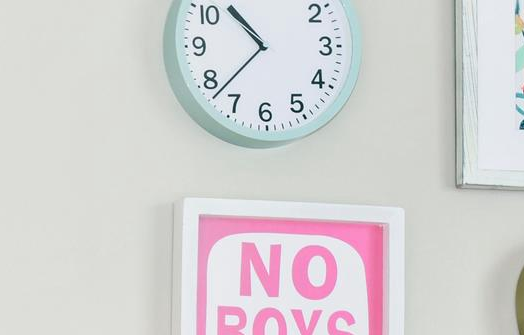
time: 10:37
